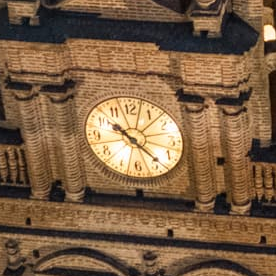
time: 10:22
